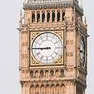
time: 8:45
